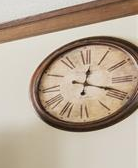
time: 12:18
